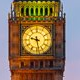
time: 9:28
